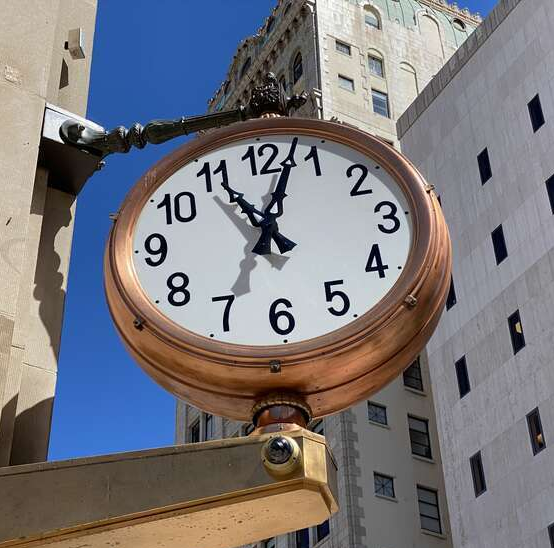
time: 11:03
